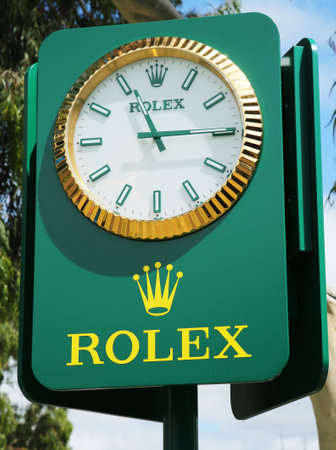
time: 11:14
